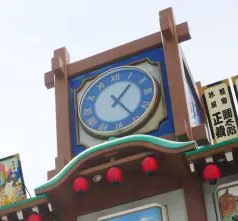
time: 1:24
